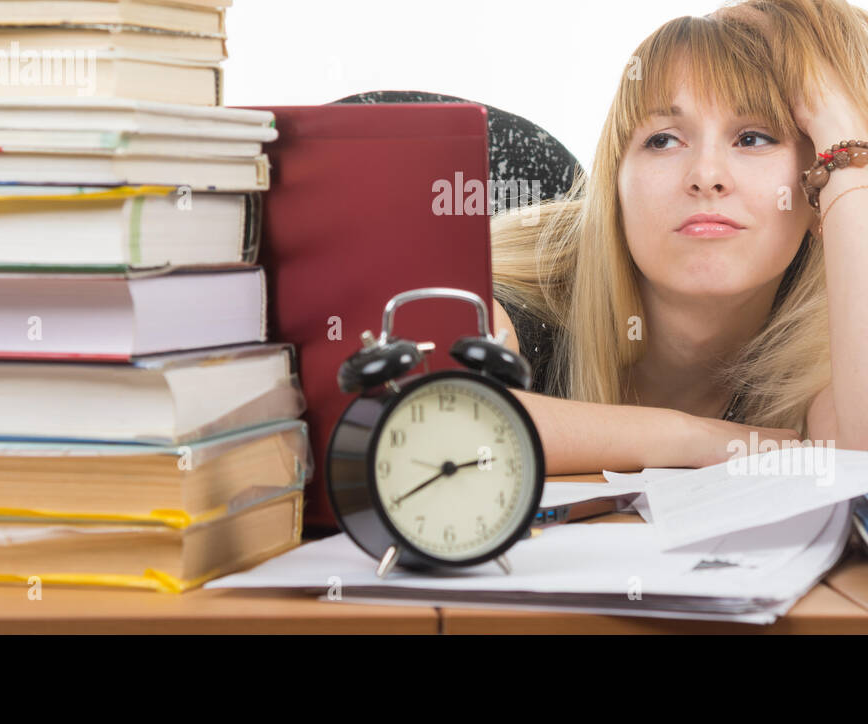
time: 2:40
